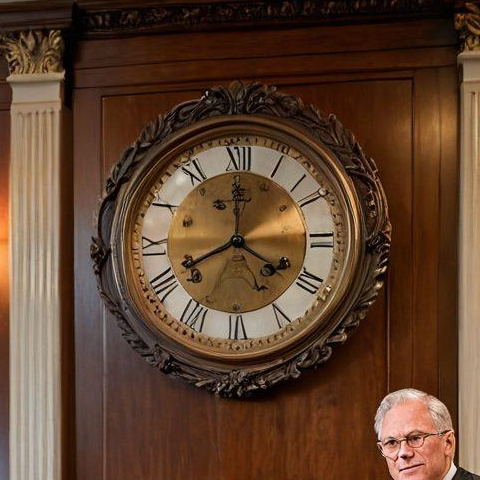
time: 4:00
